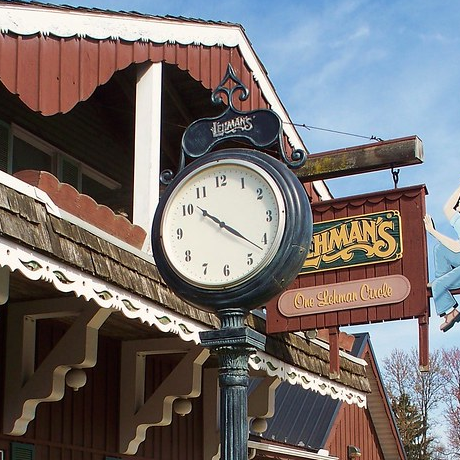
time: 10:21
